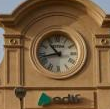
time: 10:42
